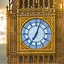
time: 7:03
